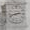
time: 2:42
